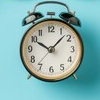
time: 10:07
